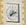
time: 7:12
